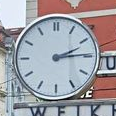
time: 2:14
